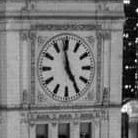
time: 4:58
